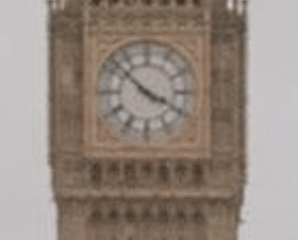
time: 3:52
